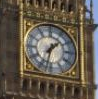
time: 1:32
